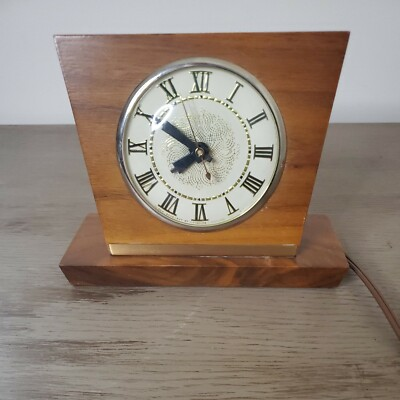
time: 7:50
